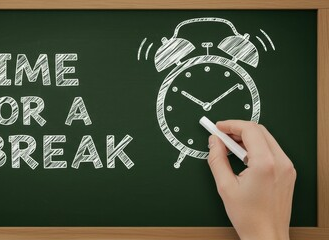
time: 10:09
